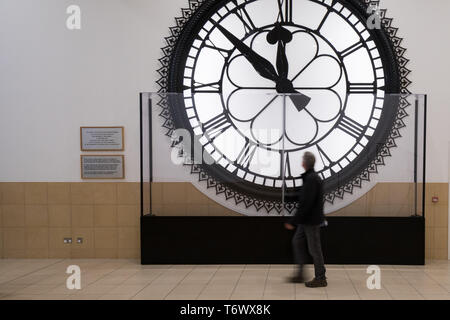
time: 11:51
